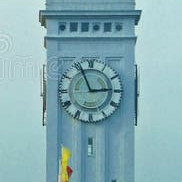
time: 2:56
